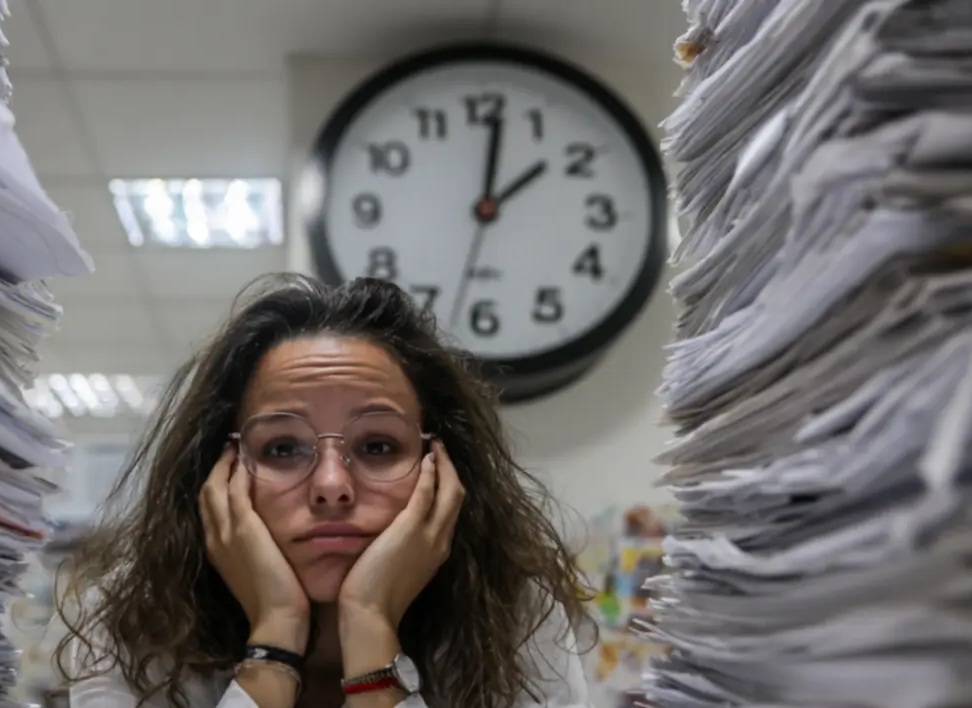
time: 2:01
